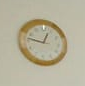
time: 12:46
